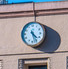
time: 4:26
